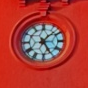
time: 5:07
